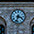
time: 3:32
